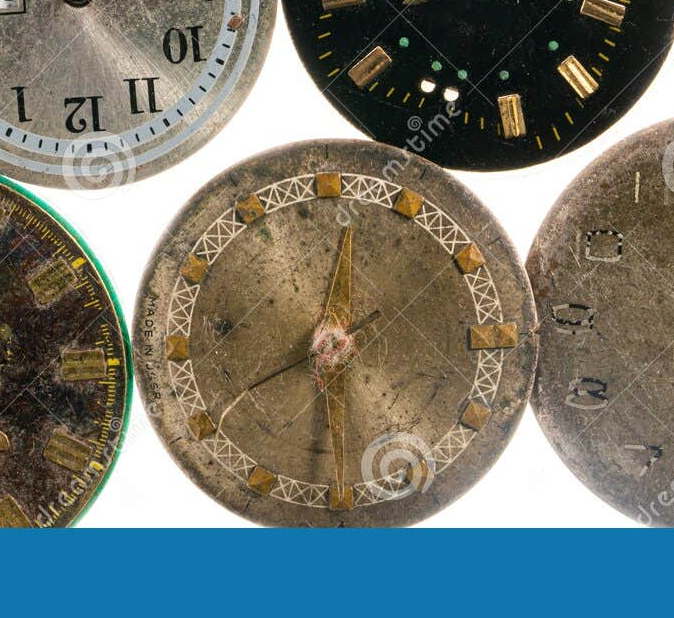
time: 8:01
